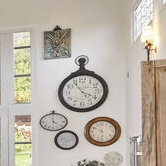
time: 3:54
